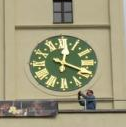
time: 12:18
